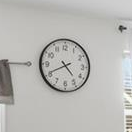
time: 4:40
